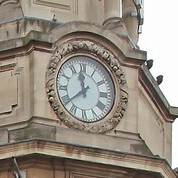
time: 11:38
